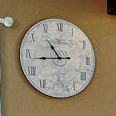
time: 10:43
